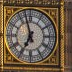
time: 6:57
